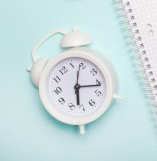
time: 6:16
